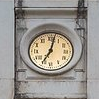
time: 7:02
